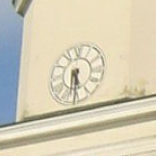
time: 5:30
